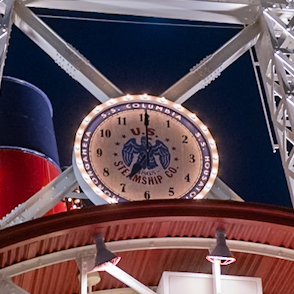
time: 7:00
